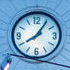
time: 8:05
